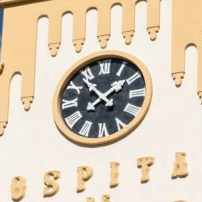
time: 1:53
